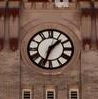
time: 1:33
